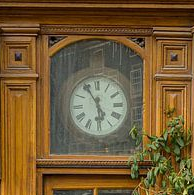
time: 5:54
